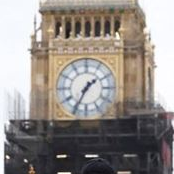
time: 1:34
